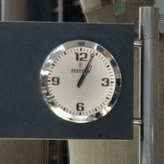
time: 1:04
